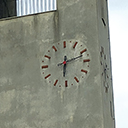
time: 6:12
